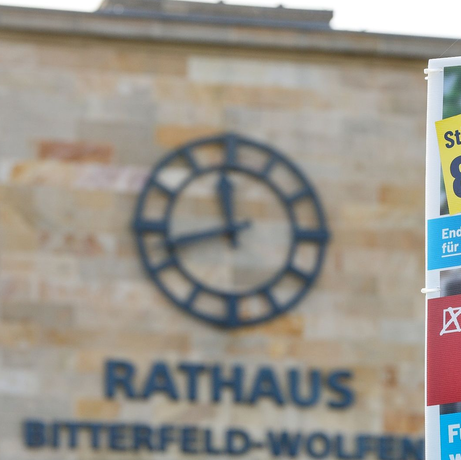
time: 11:42
